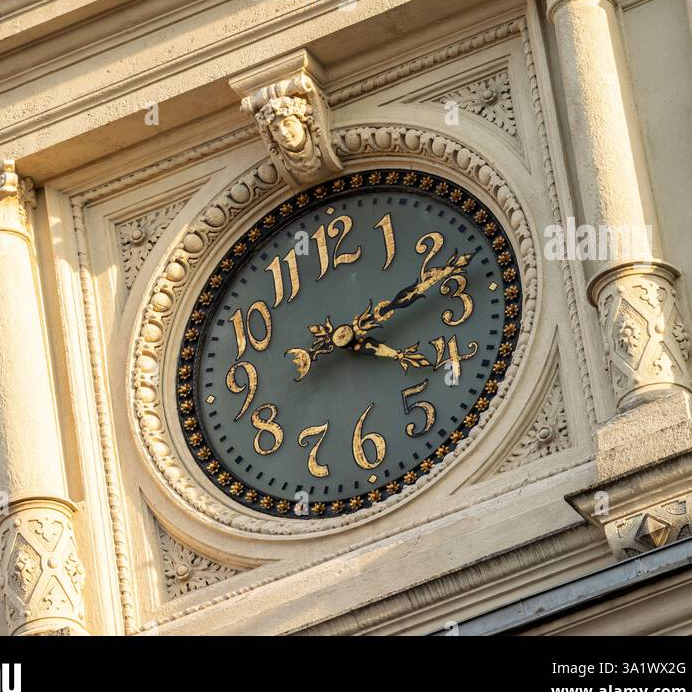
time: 4:12
